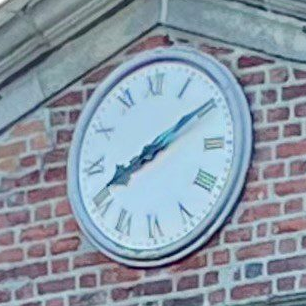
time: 8:09
